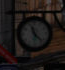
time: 11:22
